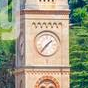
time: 1:36
